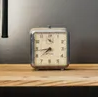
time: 7:43
